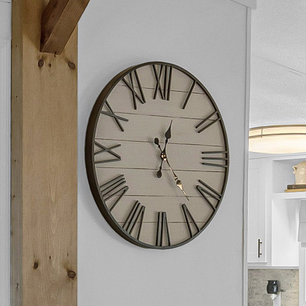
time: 12:23
